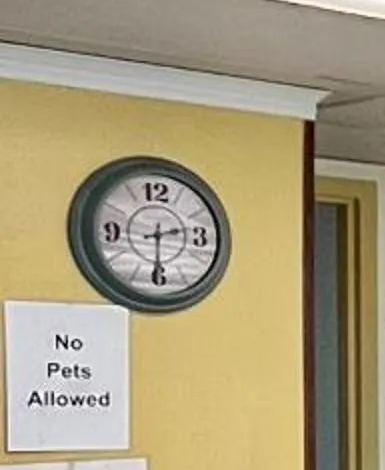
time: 2:30
